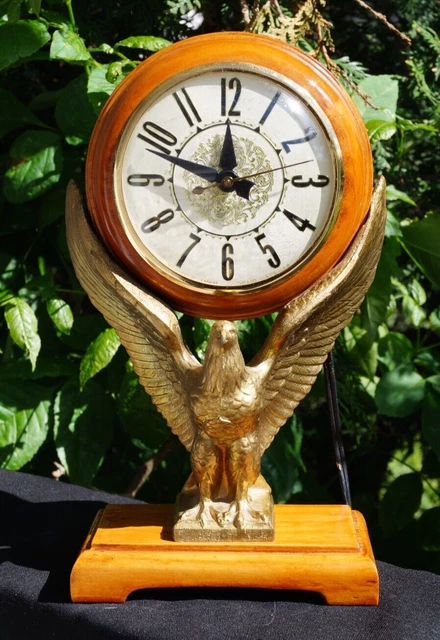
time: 11:48
